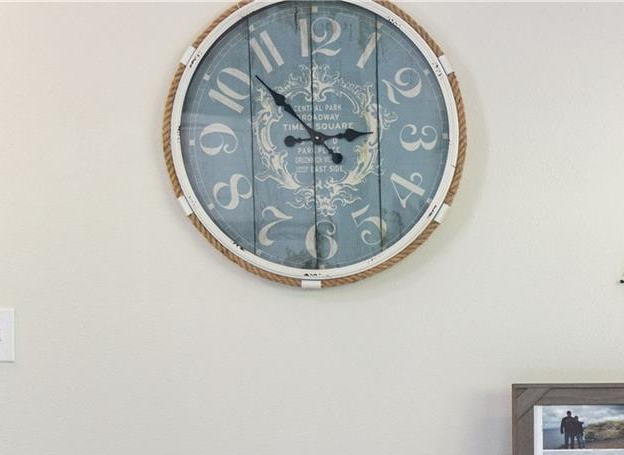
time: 2:52
